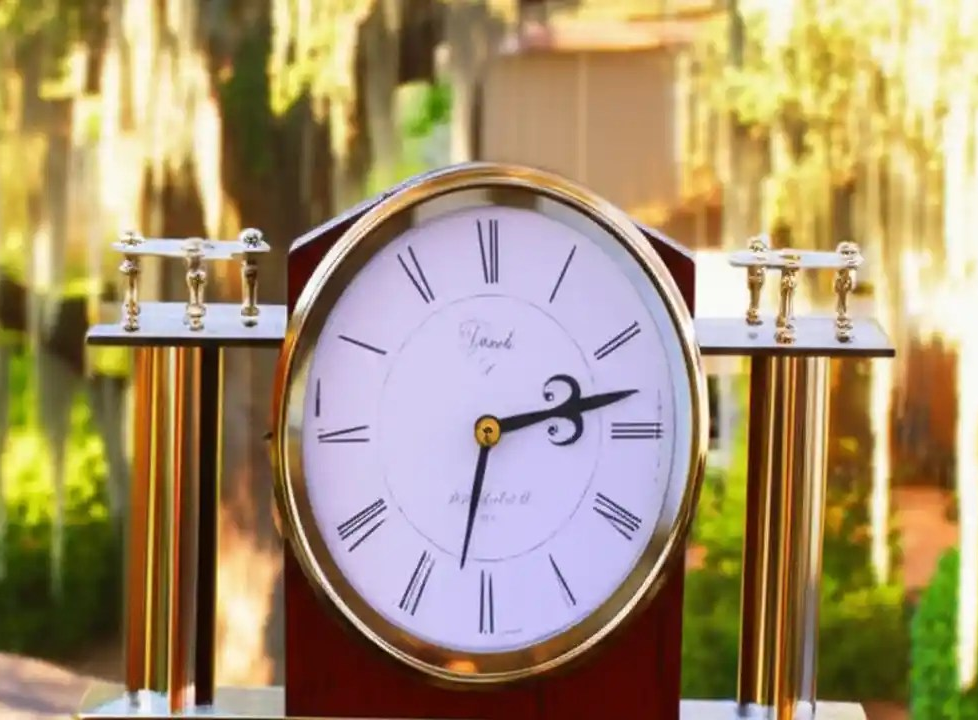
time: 2:32
